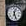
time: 12:26
